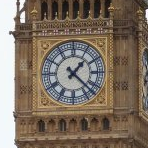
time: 1:22
